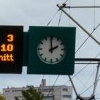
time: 1:59
